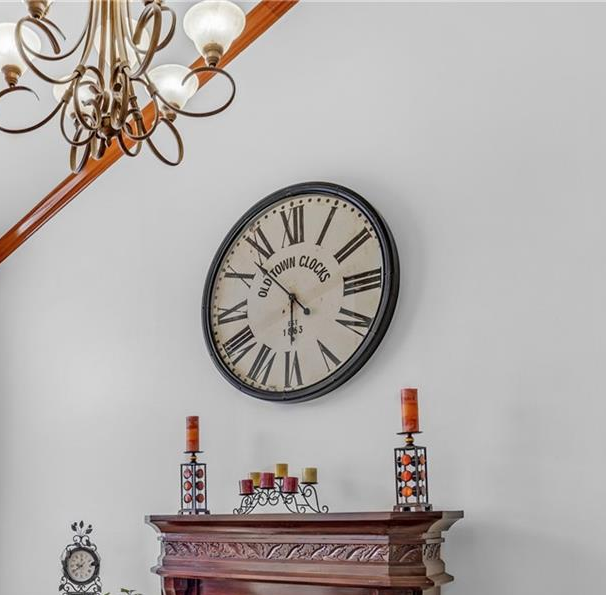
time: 5:52
